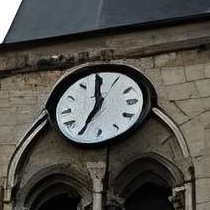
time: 6:59
